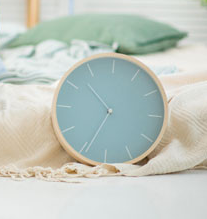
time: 10:34
